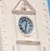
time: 12:32
